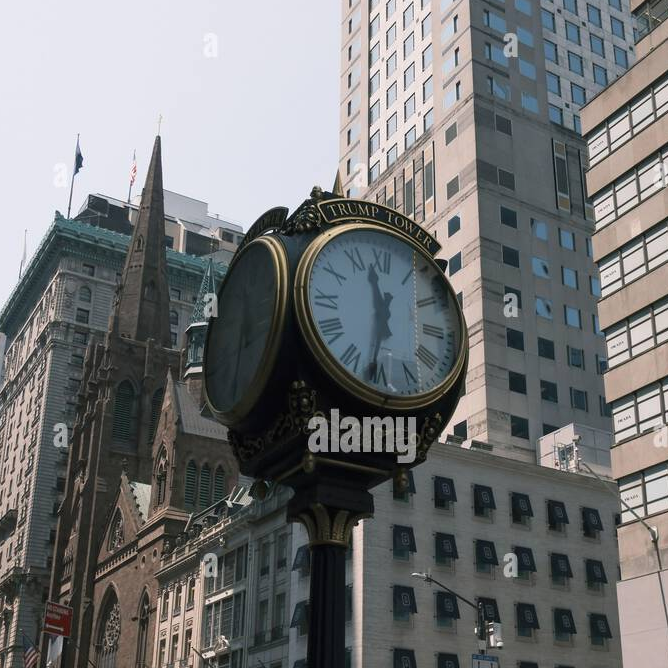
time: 11:33
